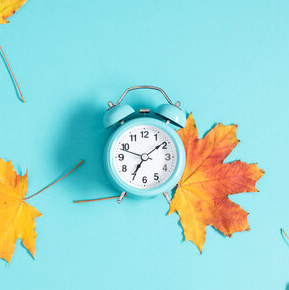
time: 7:08
